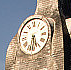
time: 5:31
